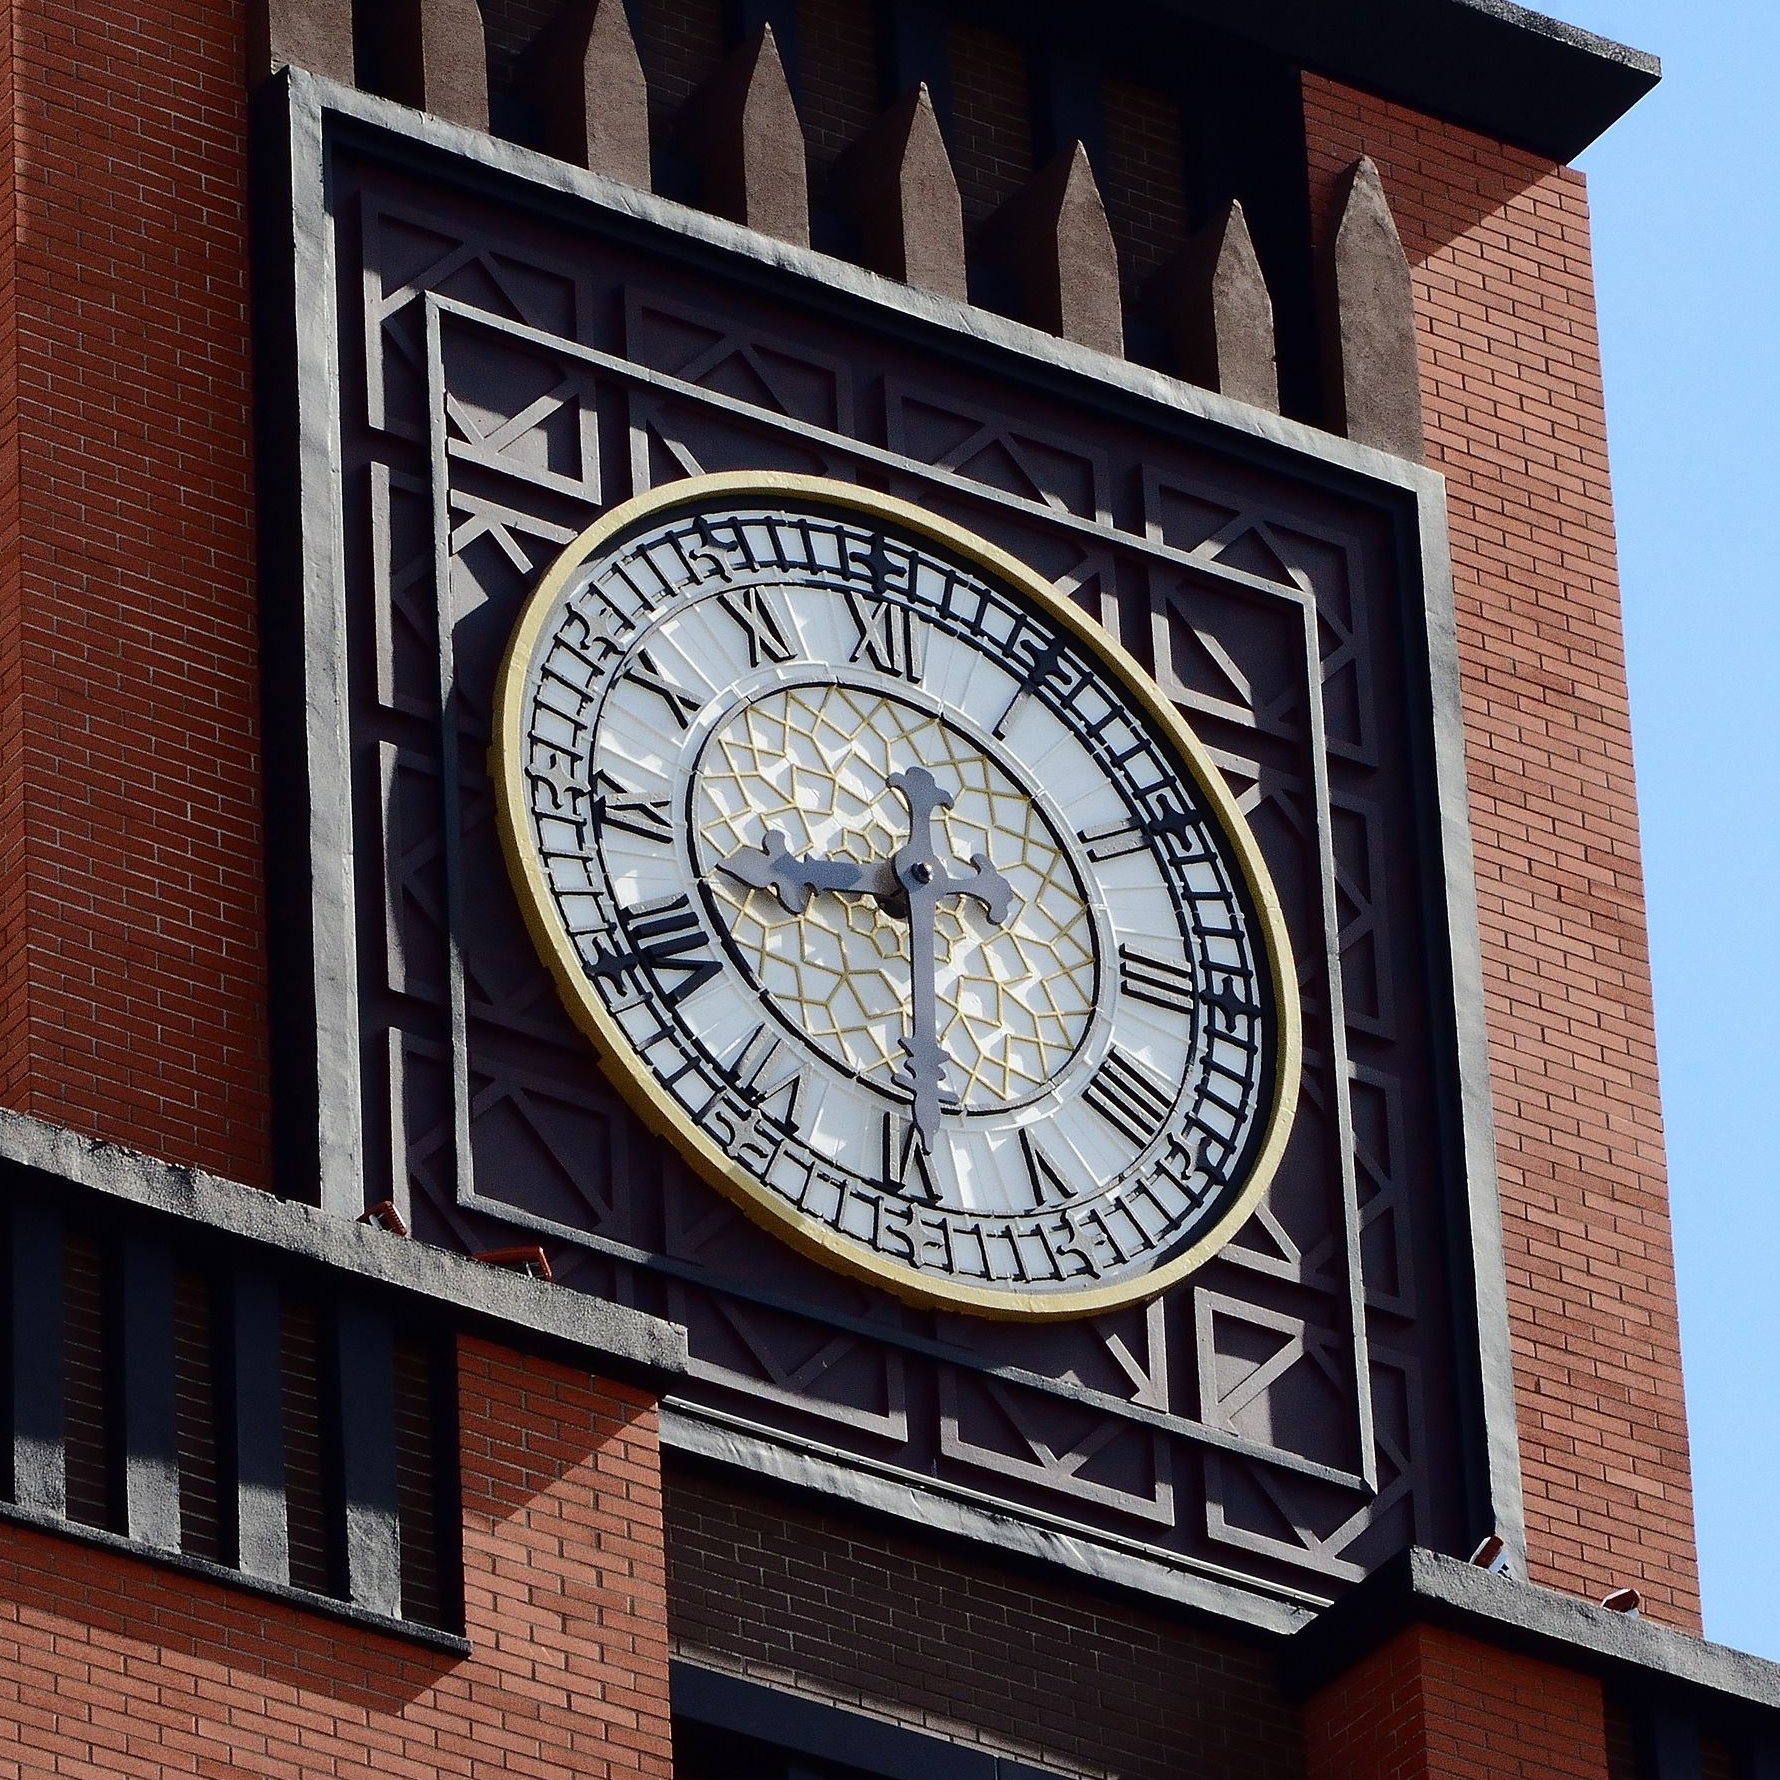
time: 8:30
